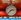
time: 2:38
